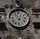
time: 12:55
